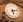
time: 5:12
